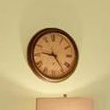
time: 9:23
